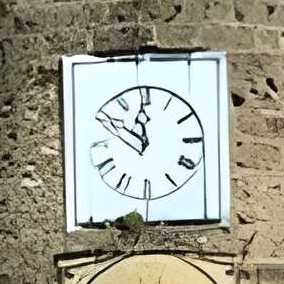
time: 11:50
